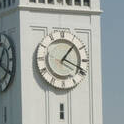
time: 1:18
